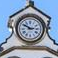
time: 2:50
